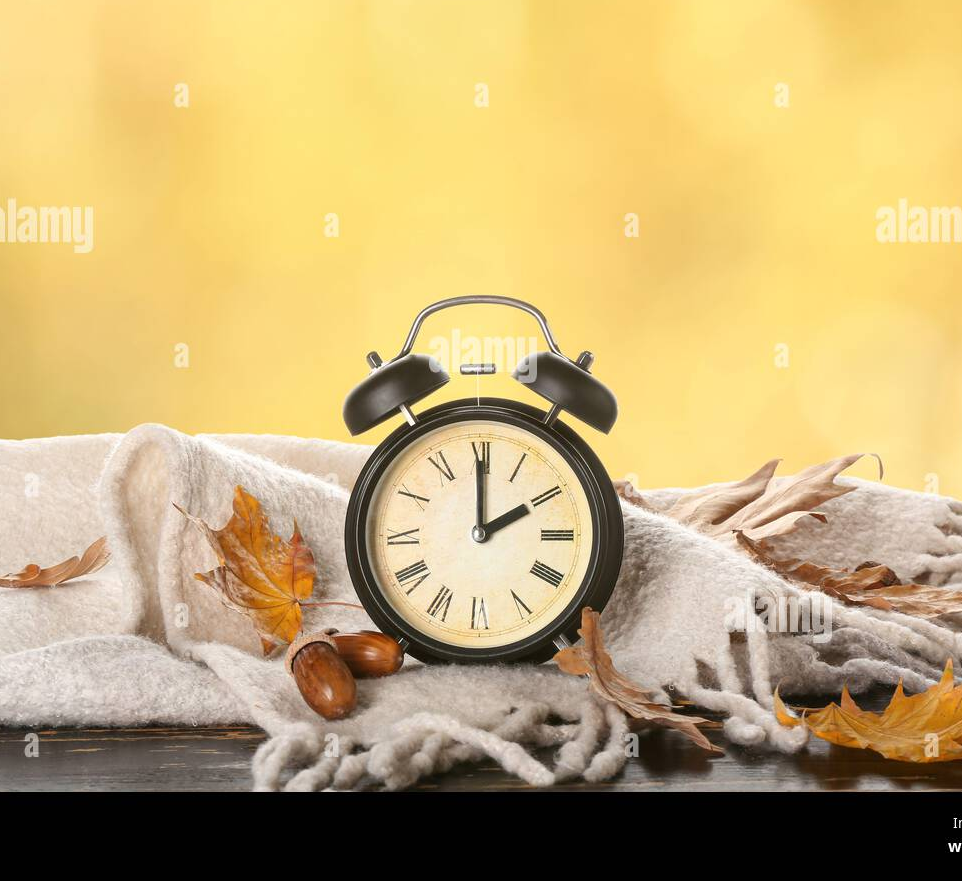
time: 2:00
